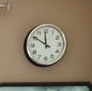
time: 11:50
